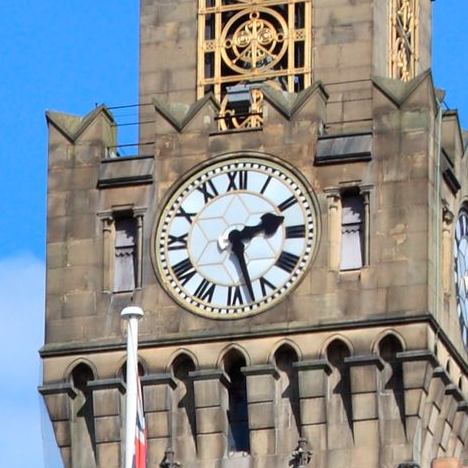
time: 2:27
